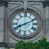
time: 8:11
